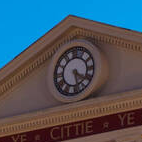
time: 5:20
